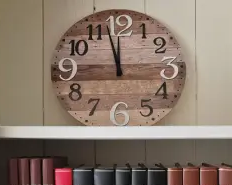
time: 11:57
